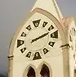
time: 2:12
